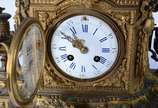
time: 10:50
